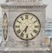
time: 6:36
